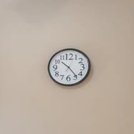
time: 10:23
